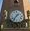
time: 1:36
